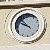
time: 9:53
